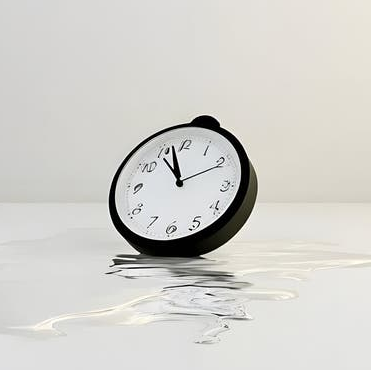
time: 10:57
